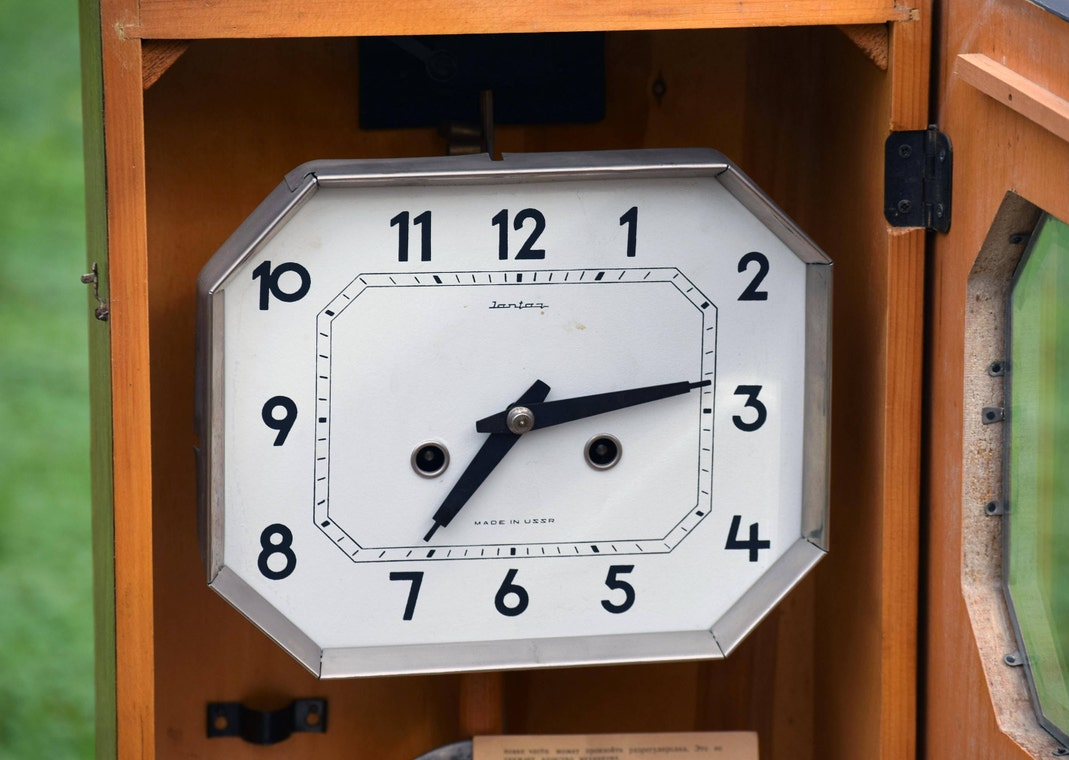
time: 7:13
